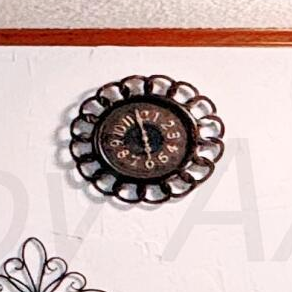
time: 5:57
